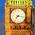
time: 7:16
